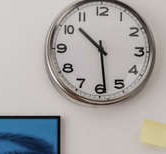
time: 10:28
